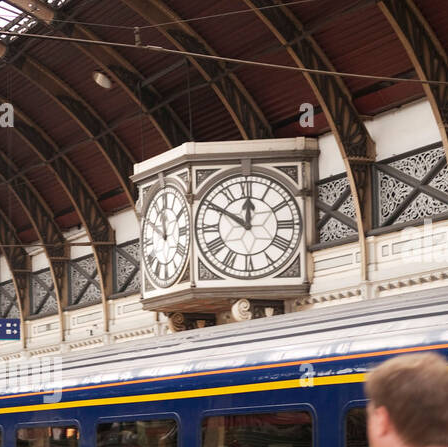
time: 11:50
